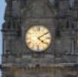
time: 4:09
